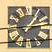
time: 1:13
